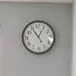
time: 12:54
